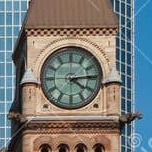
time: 4:14
